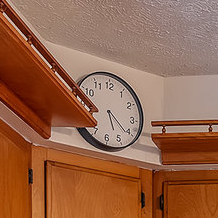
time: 5:20
